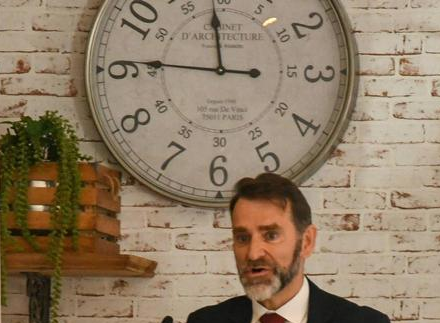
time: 11:45
